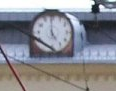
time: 4:59
